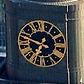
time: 6:47
